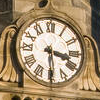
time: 3:29
